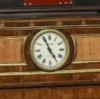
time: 4:56
